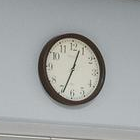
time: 12:33
